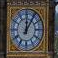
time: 12:05
